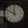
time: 11:49
